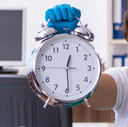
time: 12:29
